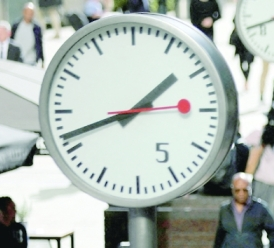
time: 1:42
